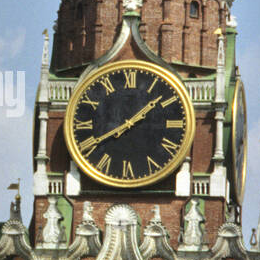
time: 1:40
